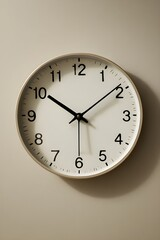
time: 10:09
